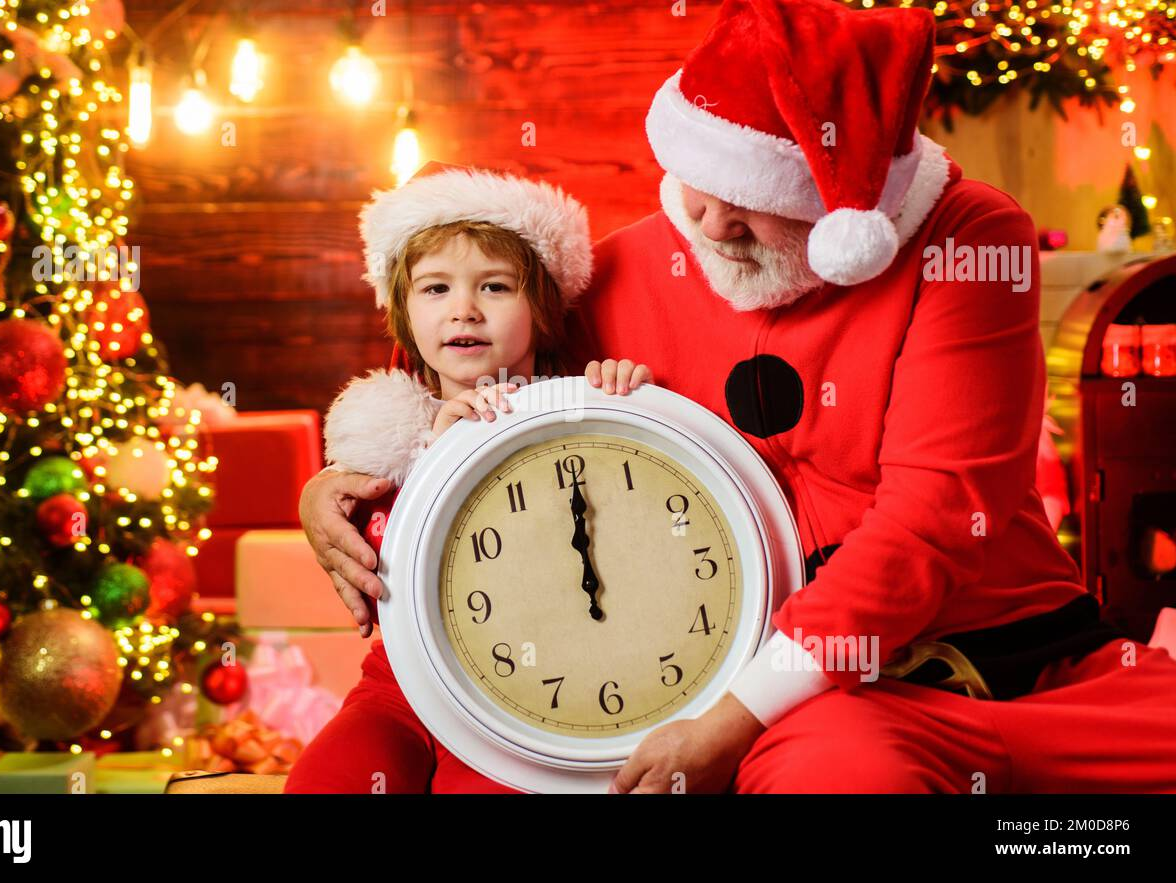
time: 12:00
